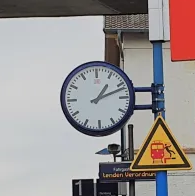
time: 1:11
